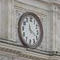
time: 11:19
